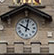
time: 10:02
